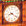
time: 8:21
